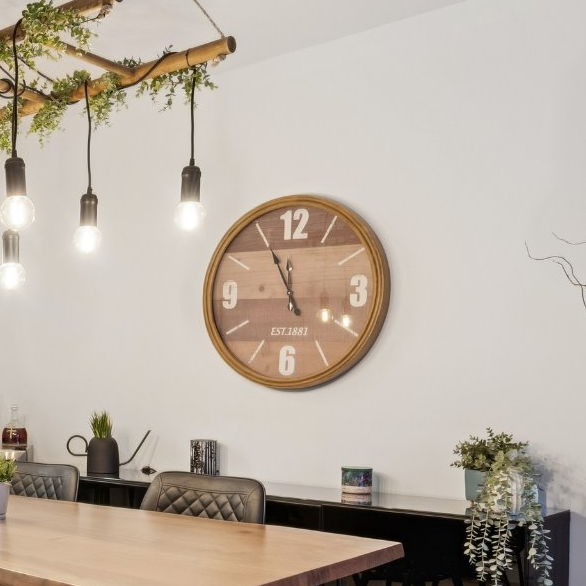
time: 11:55
